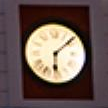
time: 6:08
